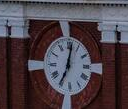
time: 7:02
